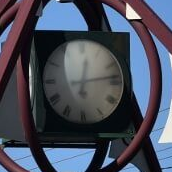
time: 12:13
